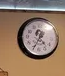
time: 4:34
